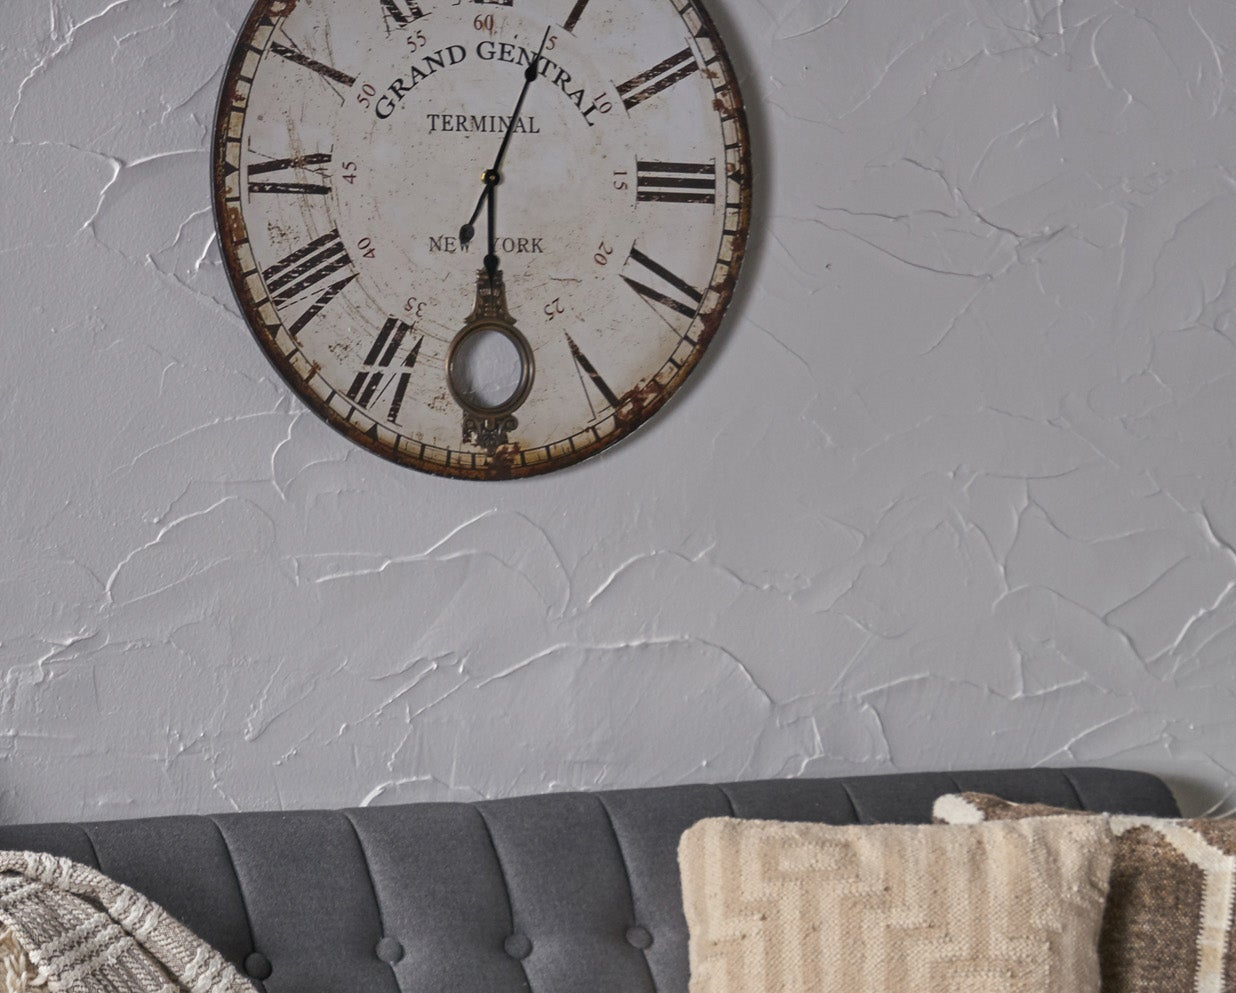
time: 6:03
